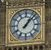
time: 1:07
